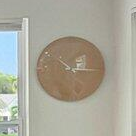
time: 10:15
